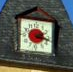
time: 2:17
